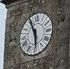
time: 5:55
